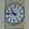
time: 10:46
